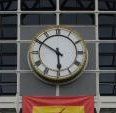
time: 5:50
